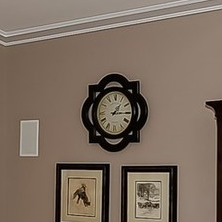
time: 1:14
